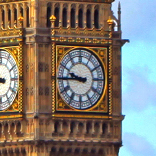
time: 9:44
